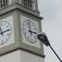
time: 2:58
